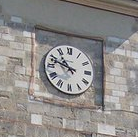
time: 10:48
